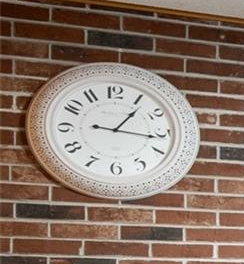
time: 1:16
